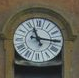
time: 11:15
